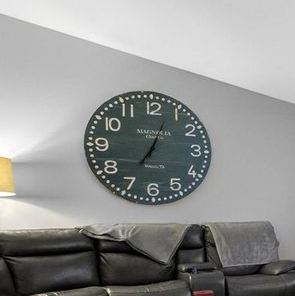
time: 7:03
